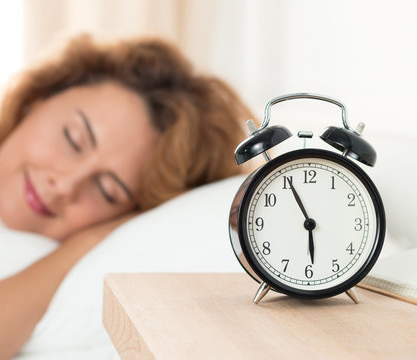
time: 5:55
